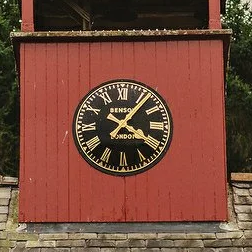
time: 4:06
